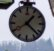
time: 1:22
